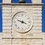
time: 3:48
